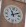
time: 11:10
